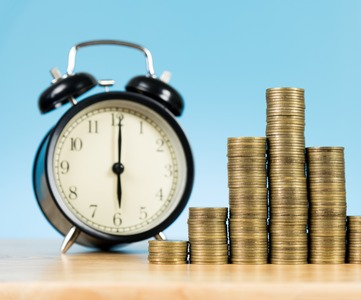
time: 6:00
